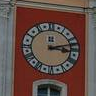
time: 3:12
